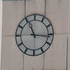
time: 11:16
